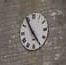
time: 4:54
